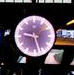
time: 9:27
